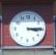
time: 3:14
